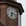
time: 6:17
